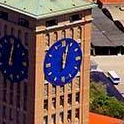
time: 12:02
